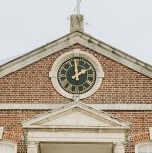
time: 1:59
